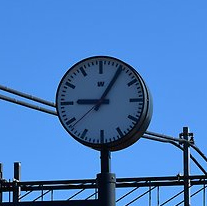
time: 9:05
